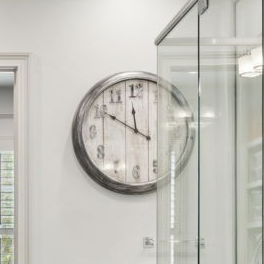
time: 11:50
